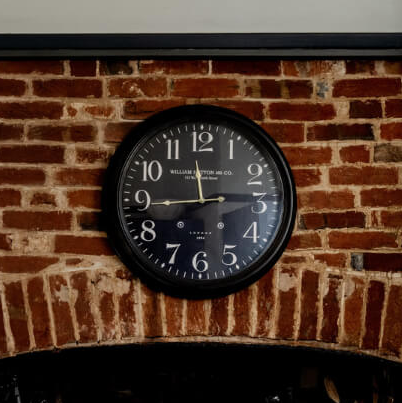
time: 7:44
